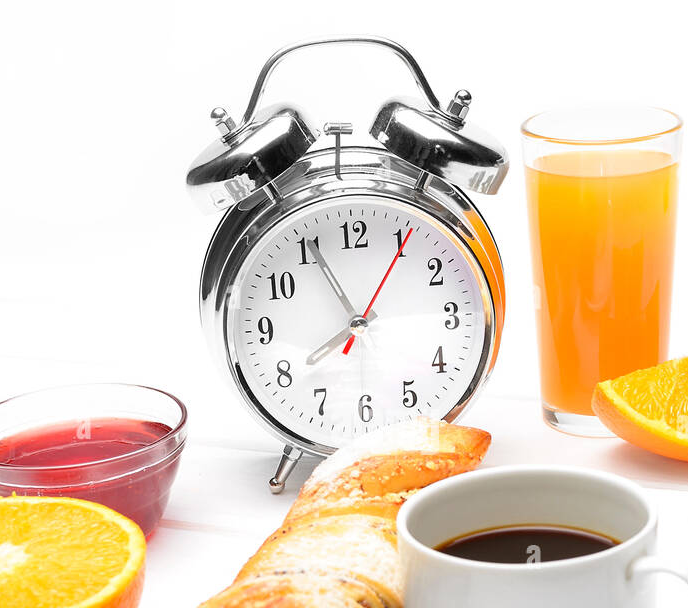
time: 7:55
